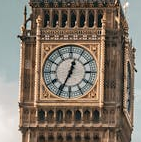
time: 12:34
